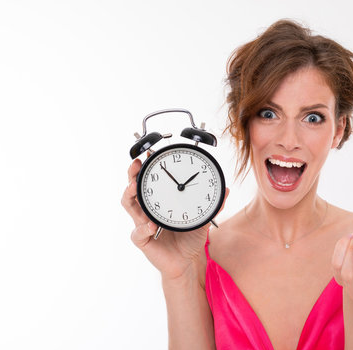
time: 1:54
